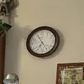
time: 6:55
